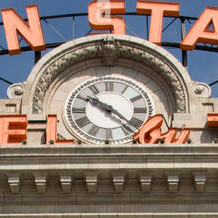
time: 10:22
